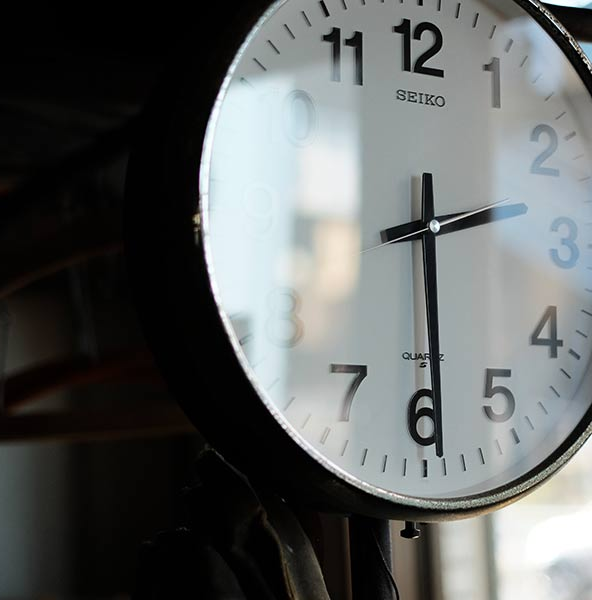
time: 2:29
